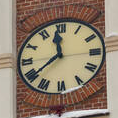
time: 11:38
